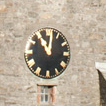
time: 11:01
